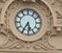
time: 5:35
